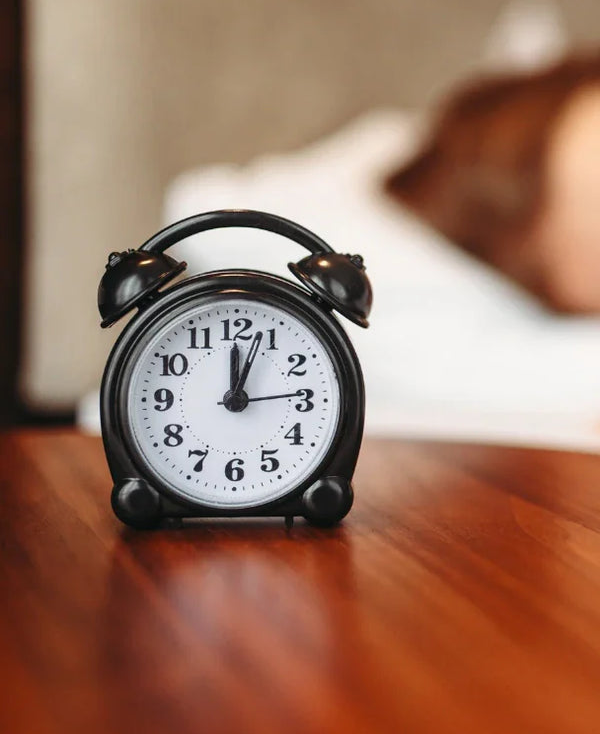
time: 12:03
